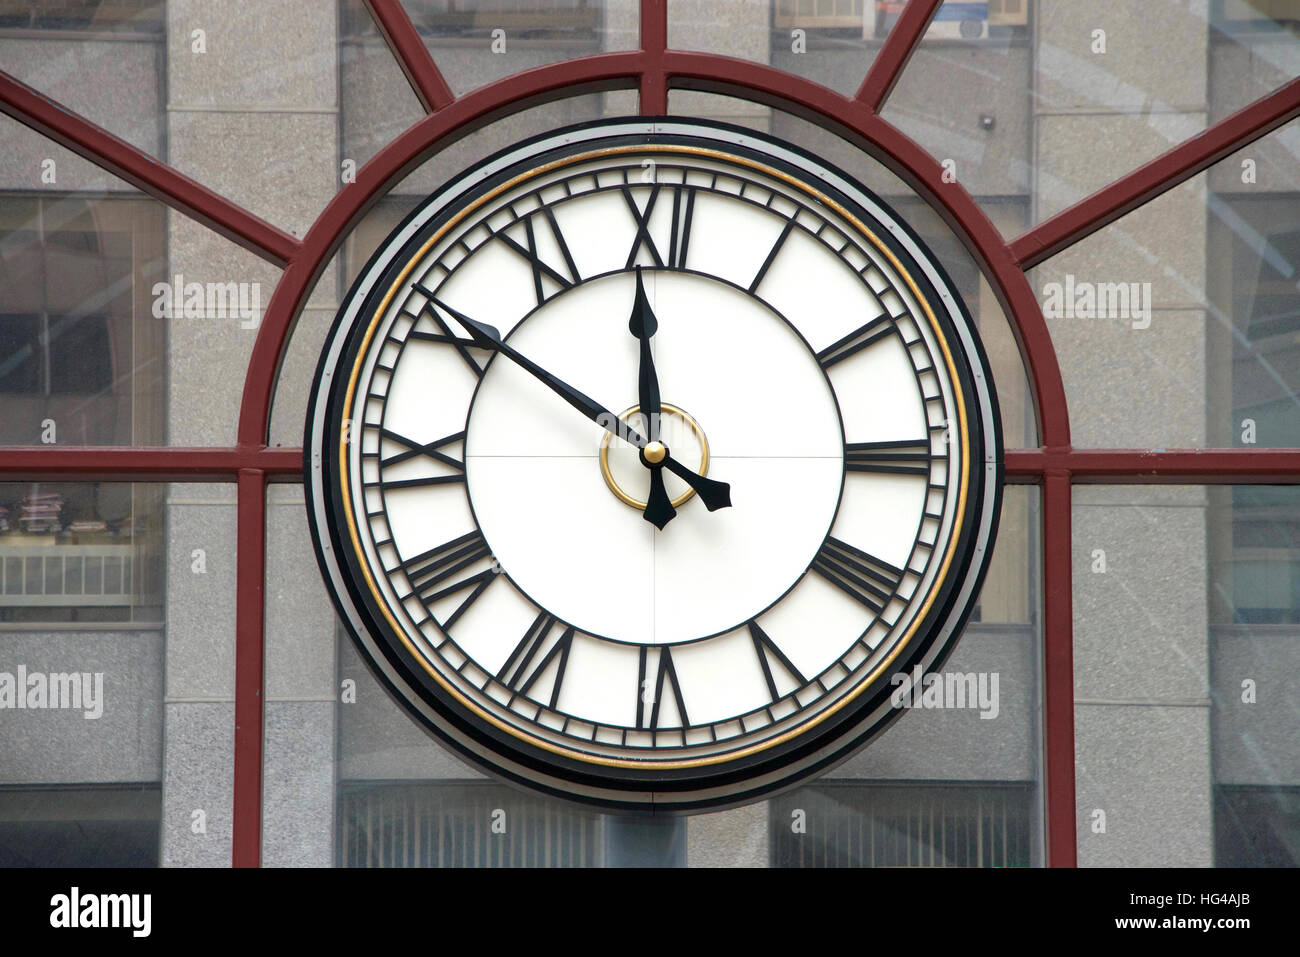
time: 11:50
